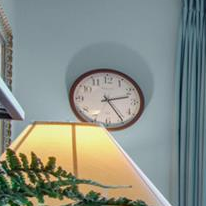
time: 2:24
